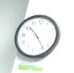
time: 10:23
